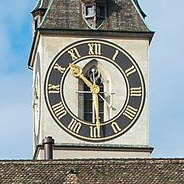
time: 10:29
